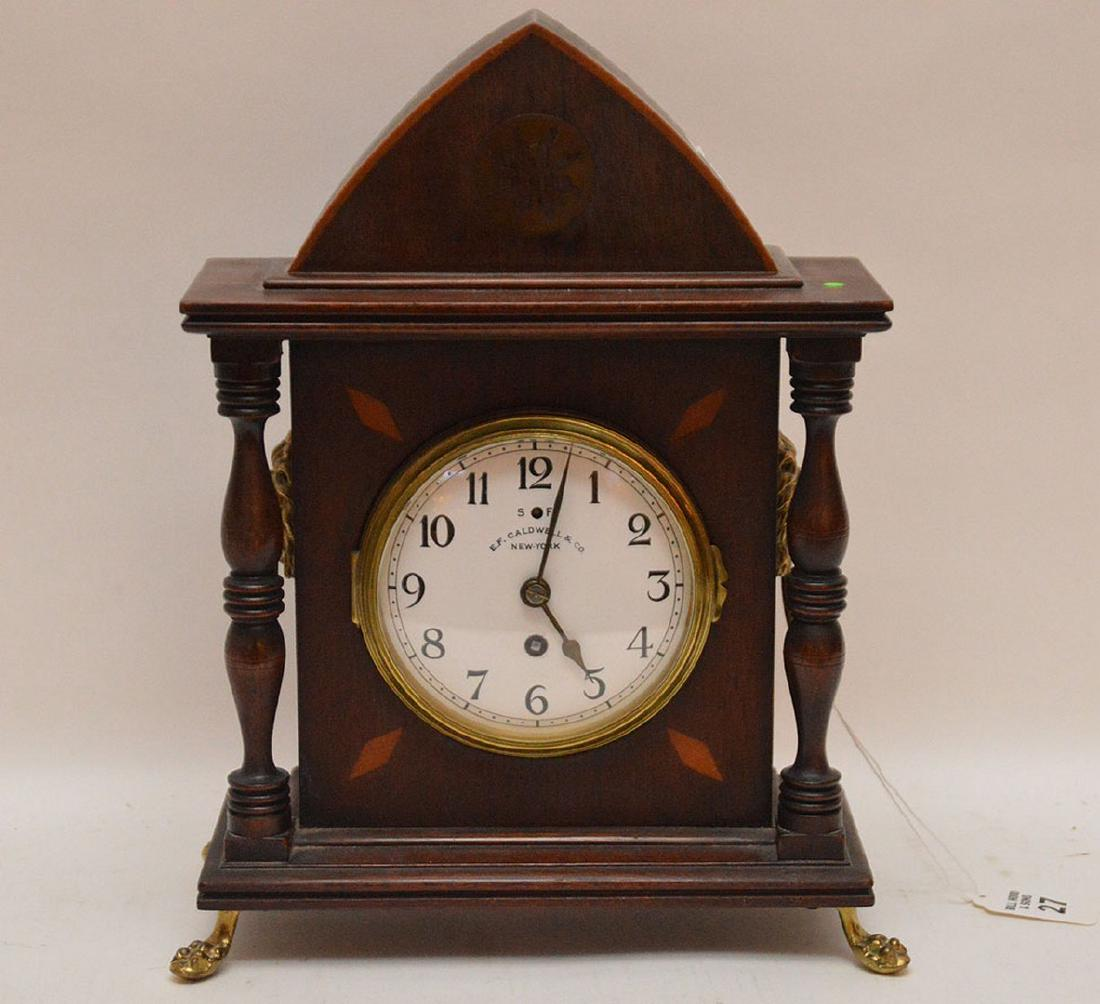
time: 5:02
